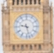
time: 9:27
